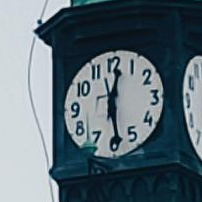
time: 12:28
